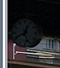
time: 12:40
